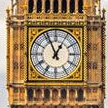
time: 12:56
